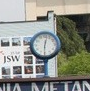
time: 12:30
